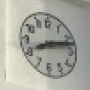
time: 8:12
